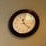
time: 11:22
